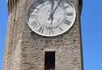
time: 1:01
